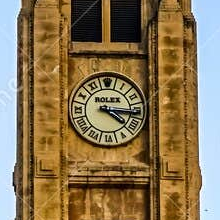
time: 4:16
